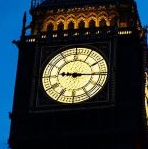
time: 9:15
